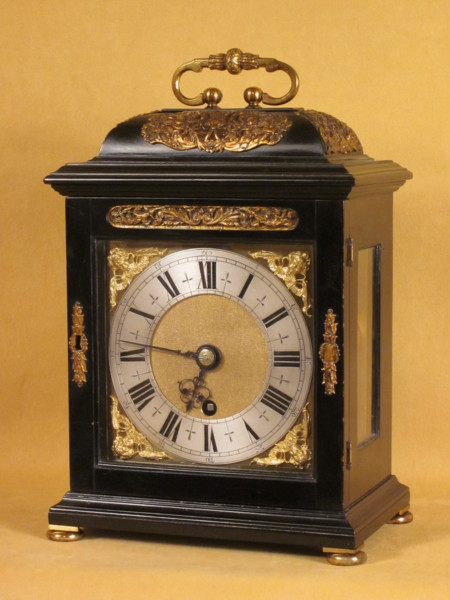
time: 6:46
